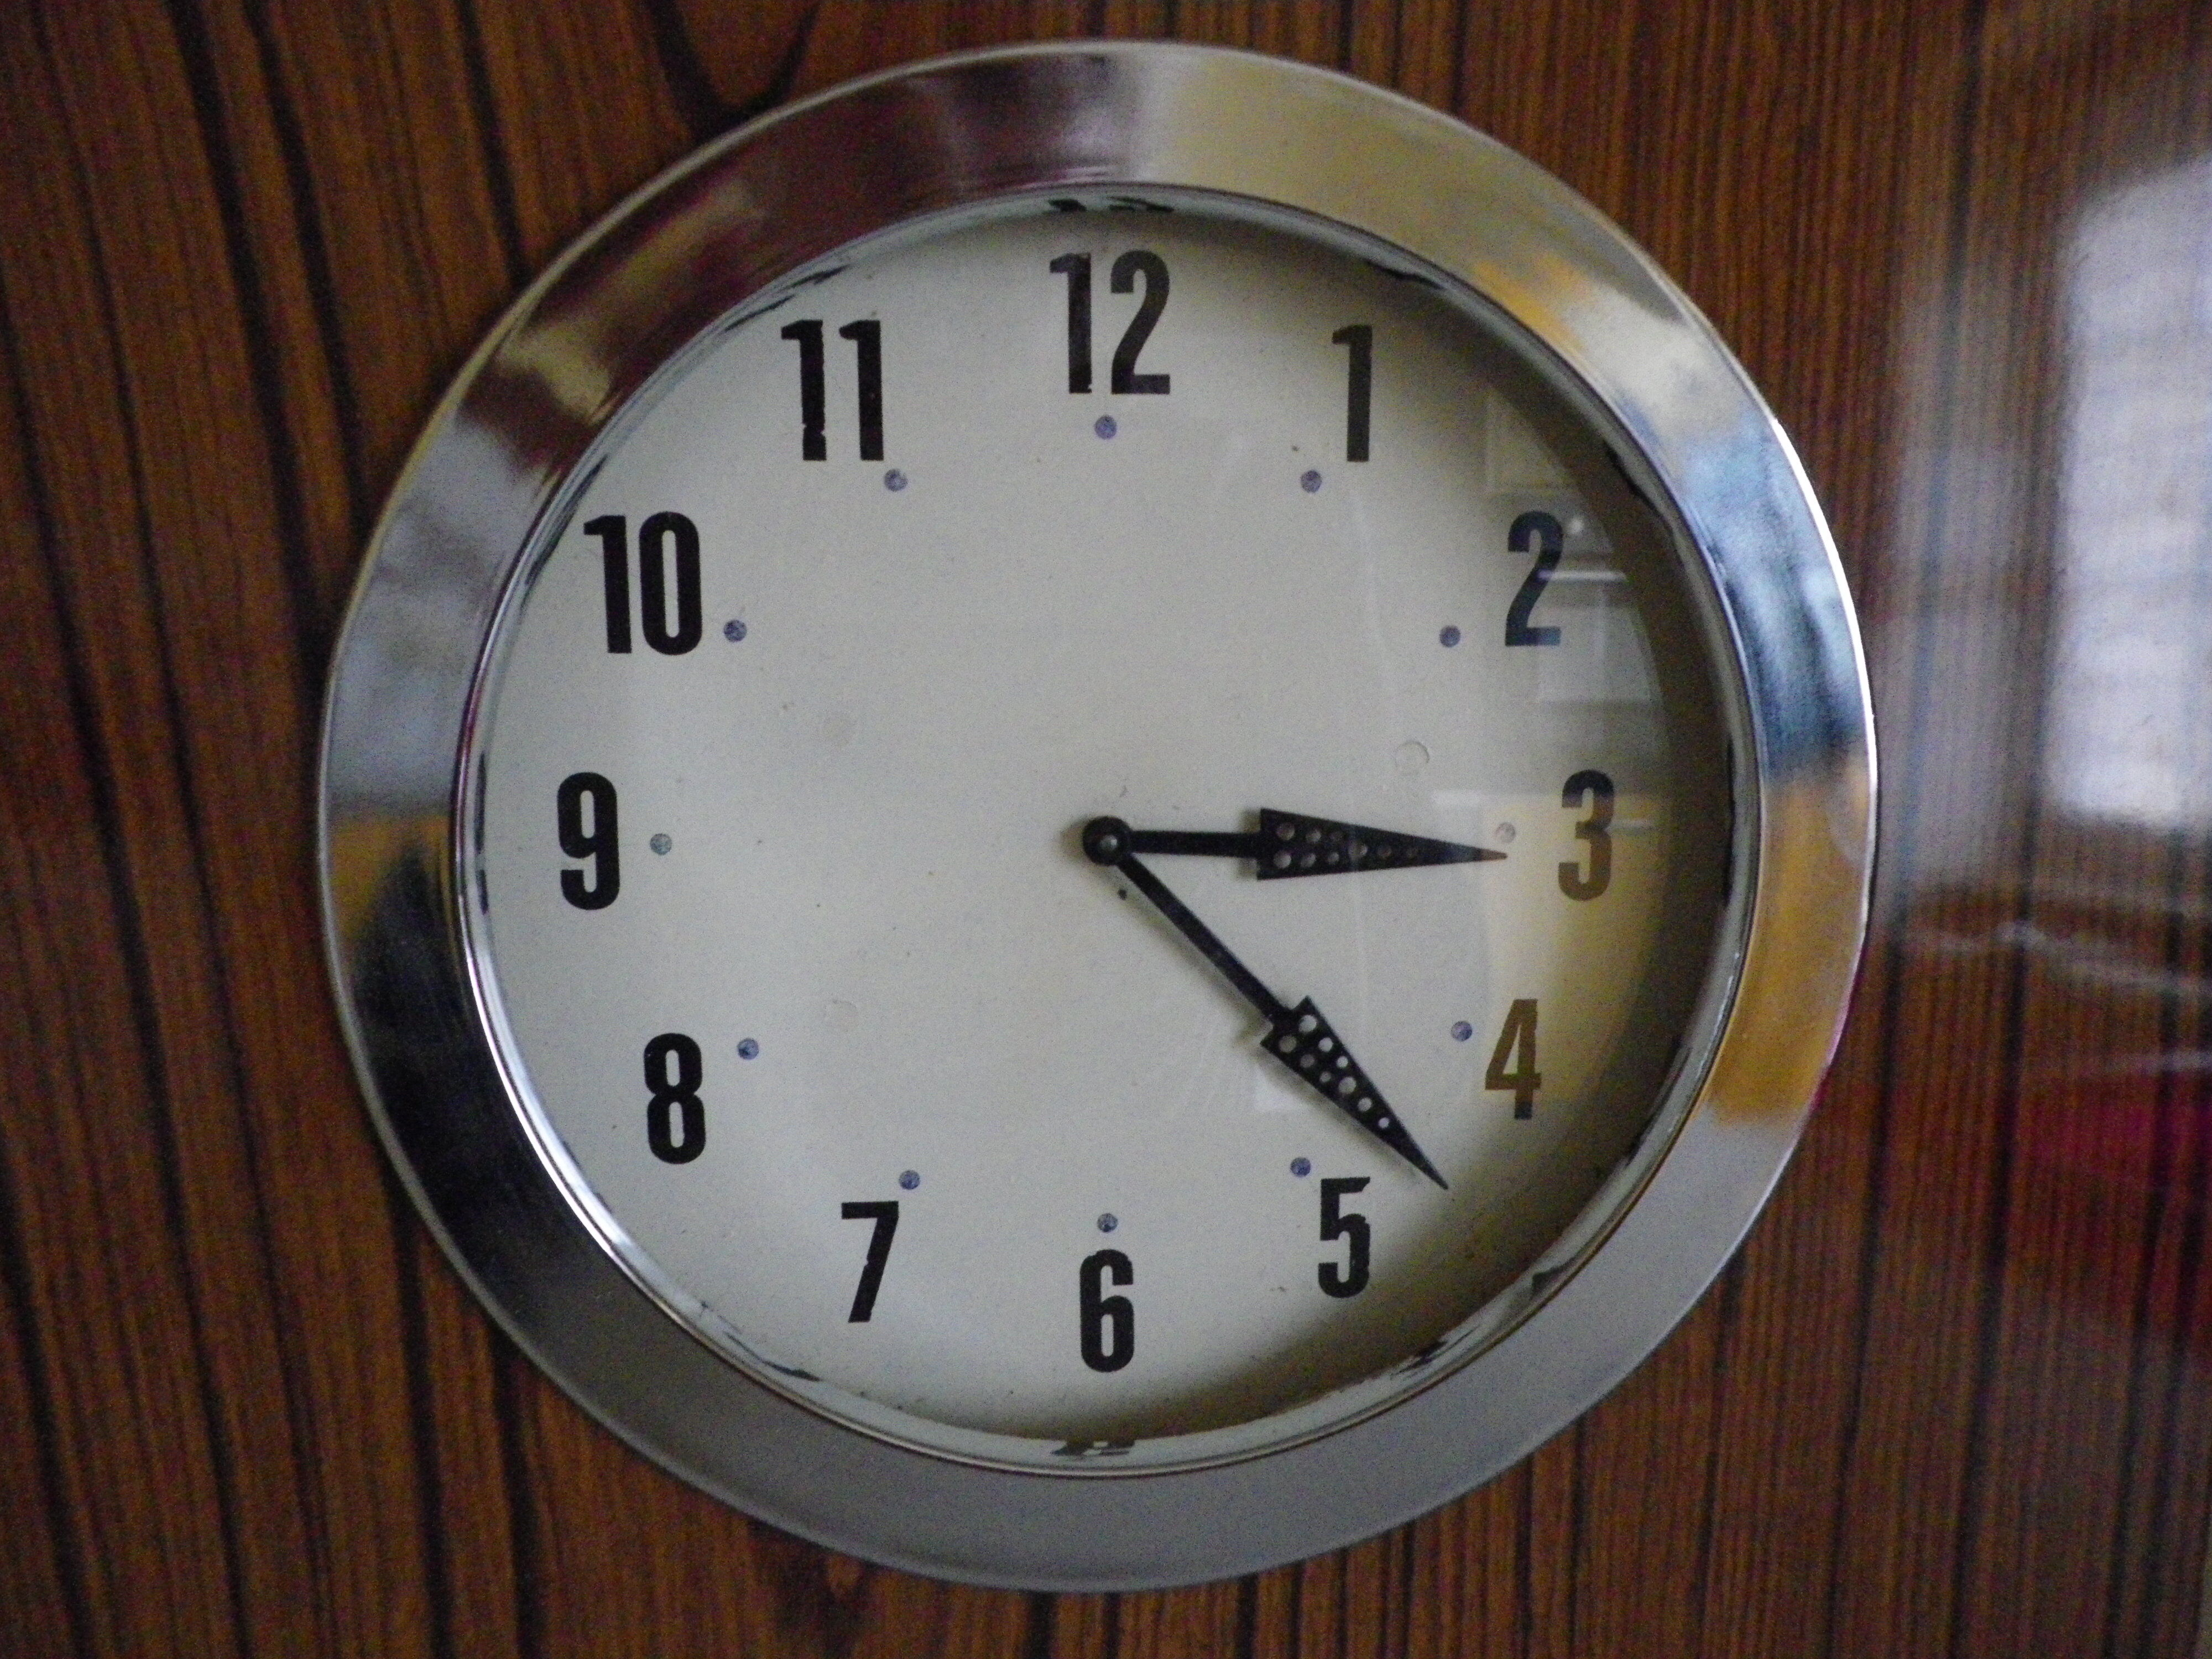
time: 3:22
